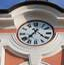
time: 7:21
